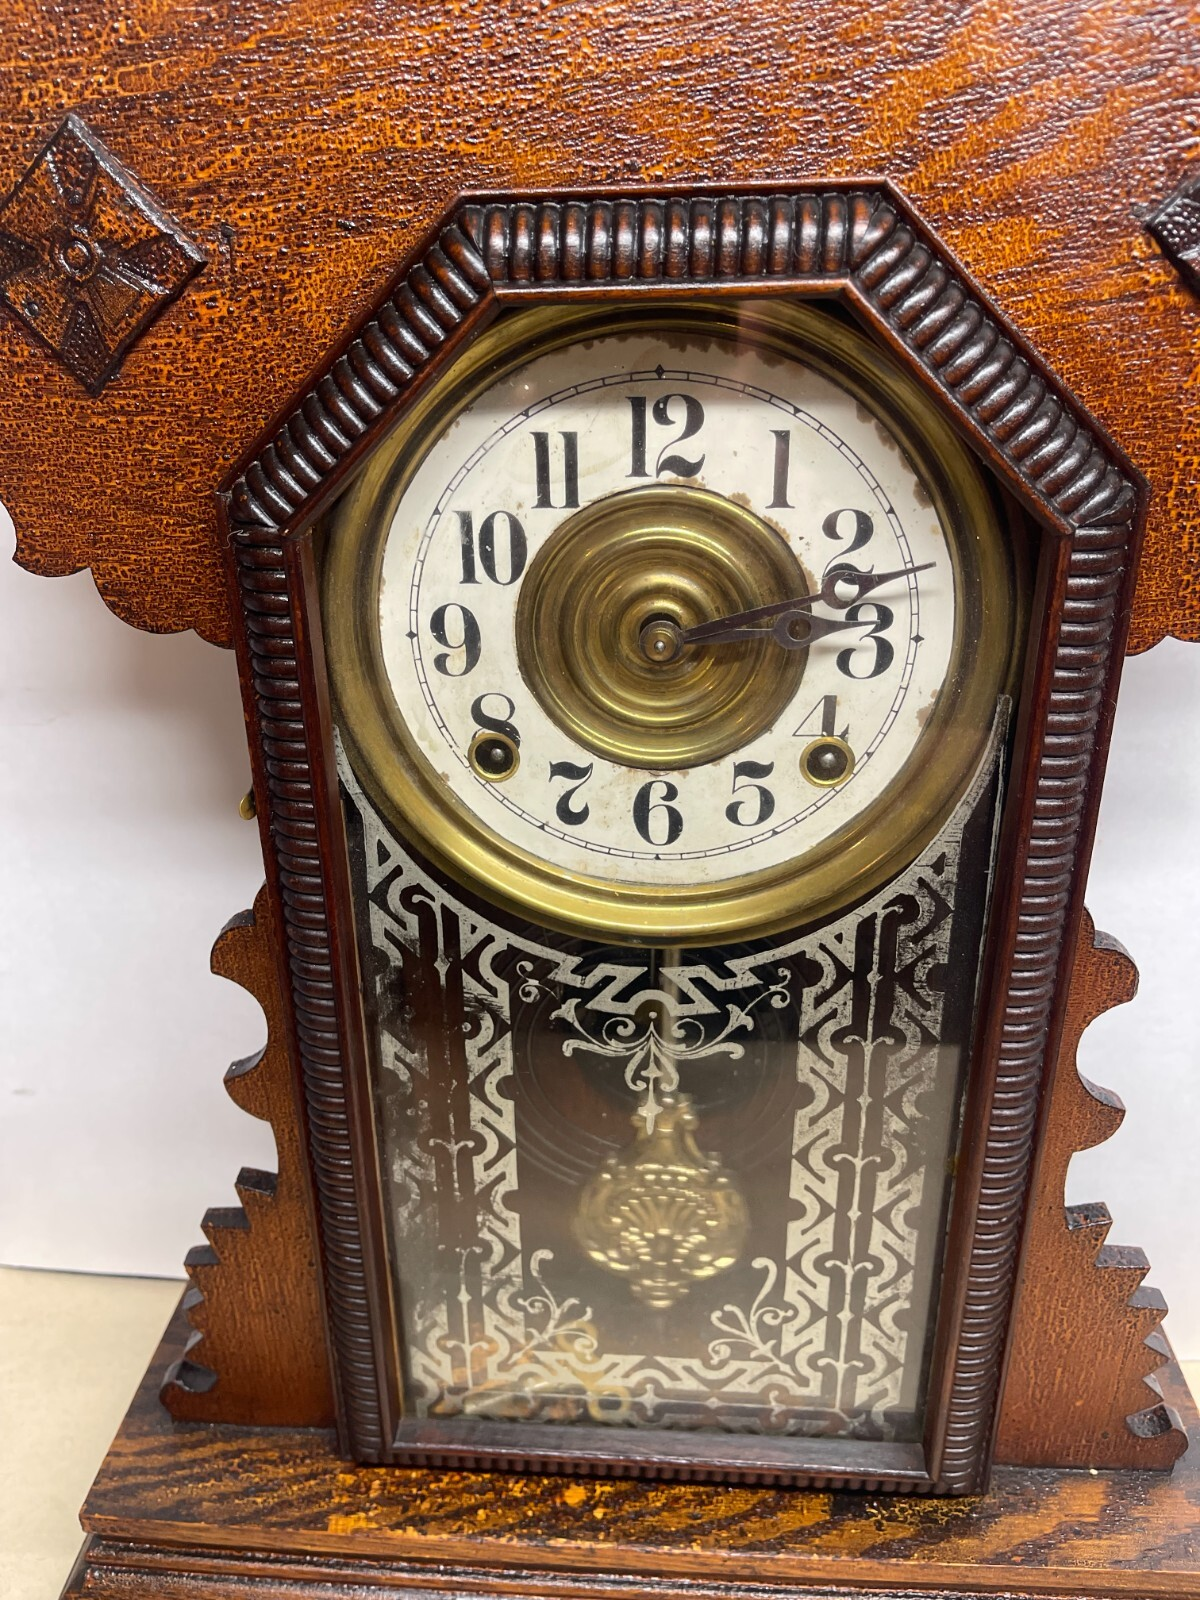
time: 3:13
